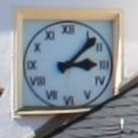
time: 3:07
